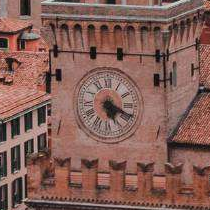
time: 5:18
